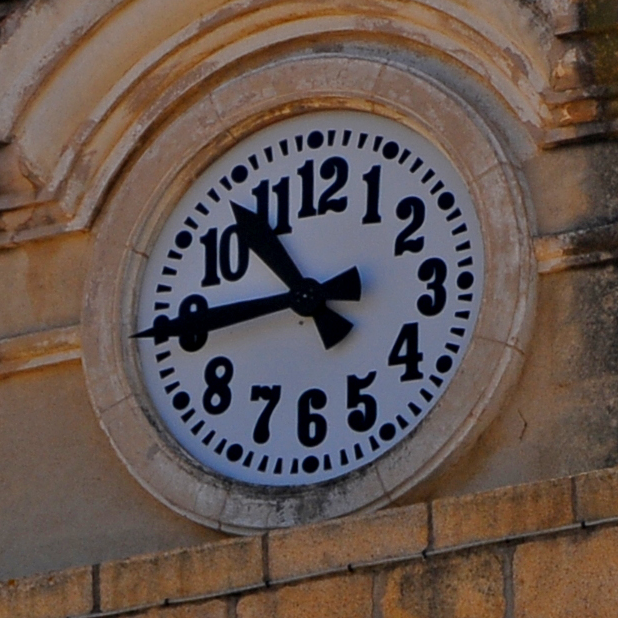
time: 10:44
